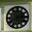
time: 2:40
